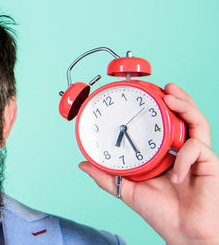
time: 6:25
